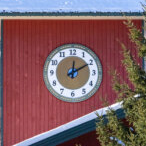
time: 12:10
